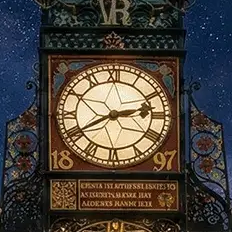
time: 2:40
